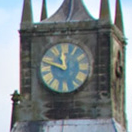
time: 11:48
